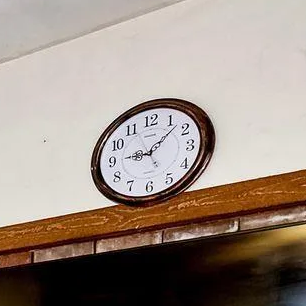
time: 9:07
